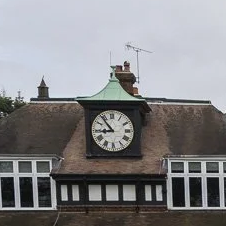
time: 8:53
